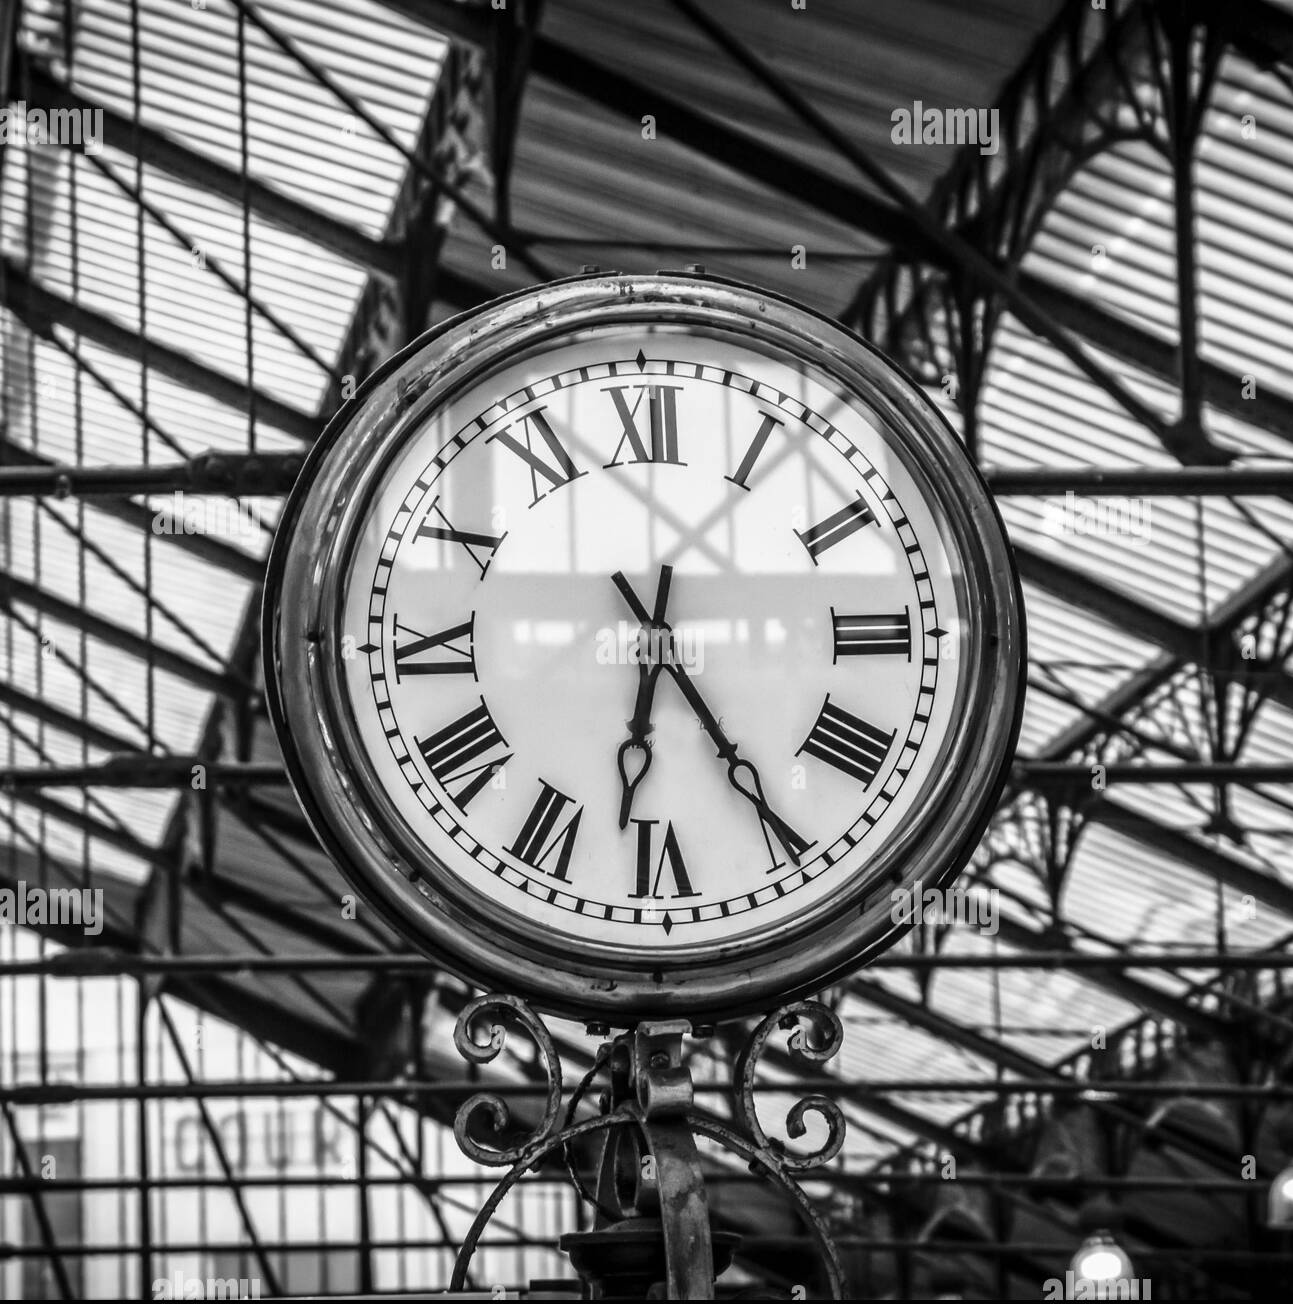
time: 6:24
